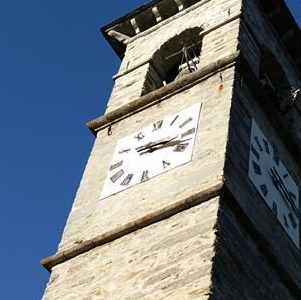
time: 3:18
